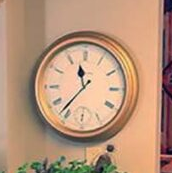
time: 11:36
